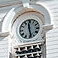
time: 11:28
